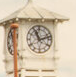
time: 11:12
